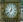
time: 12:38
